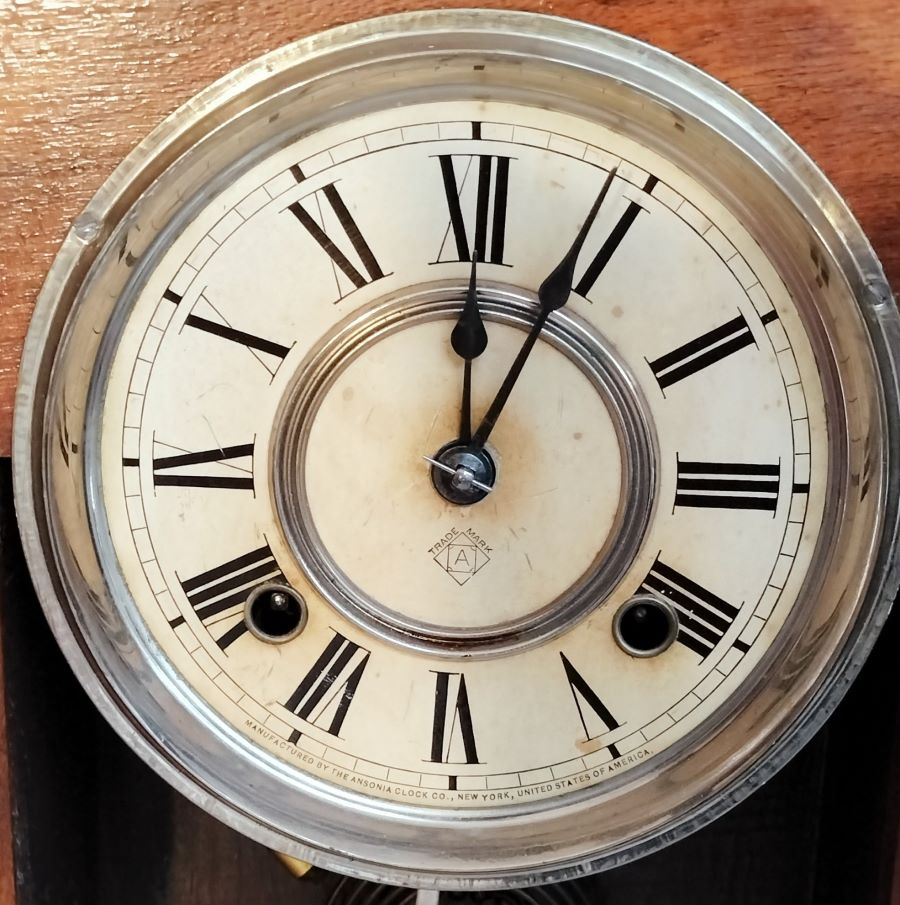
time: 12:04
